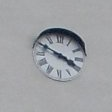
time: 3:49
